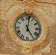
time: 5:01
